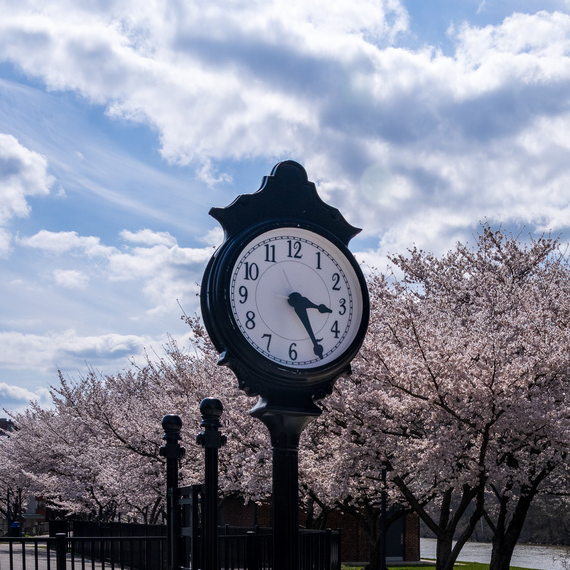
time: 3:24
